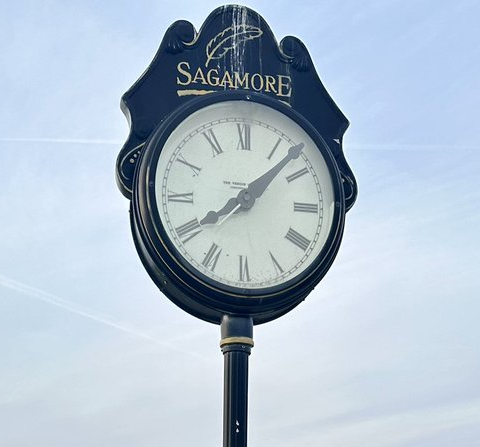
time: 8:07
